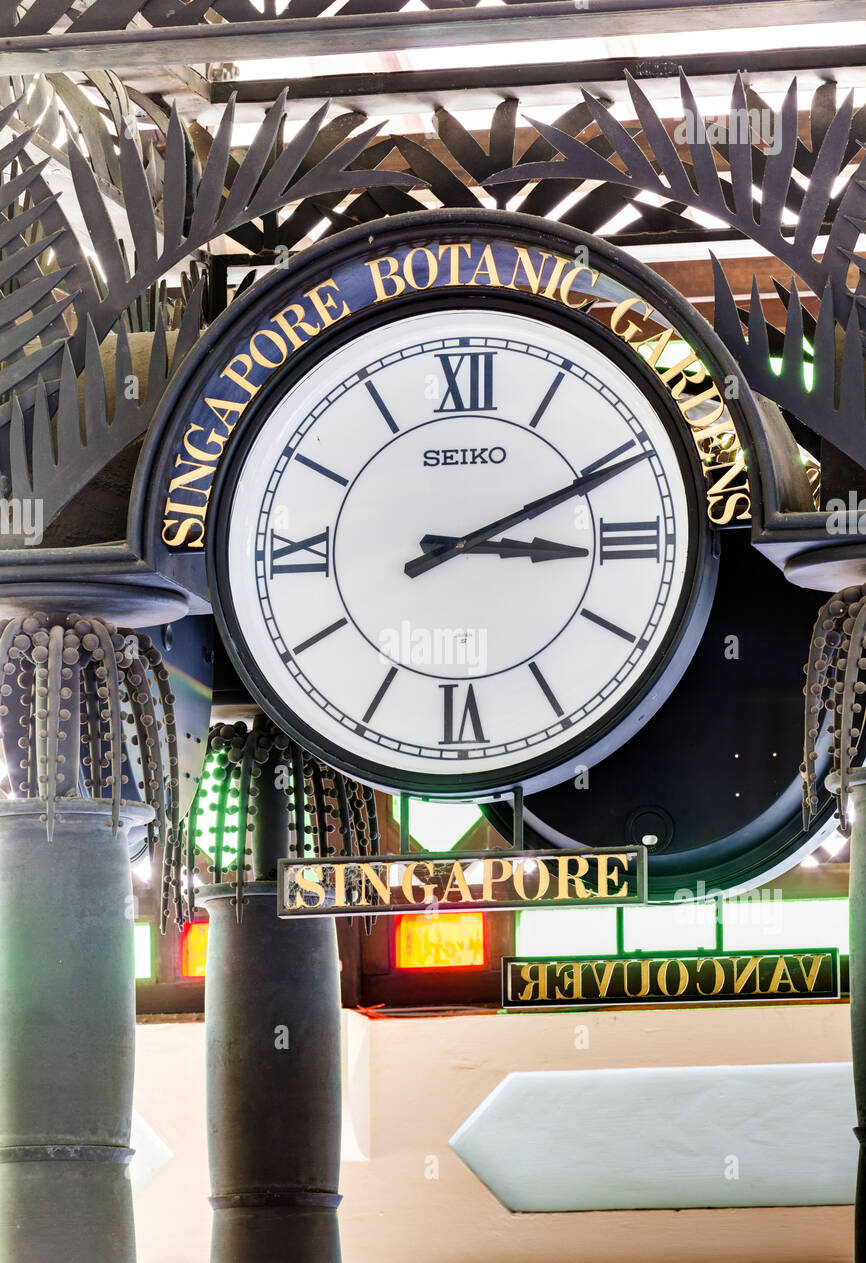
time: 3:10
